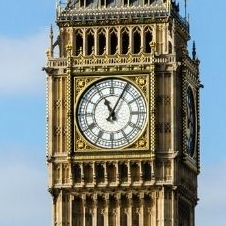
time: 11:05
